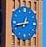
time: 12:43
